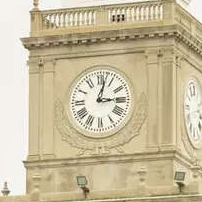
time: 3:02
